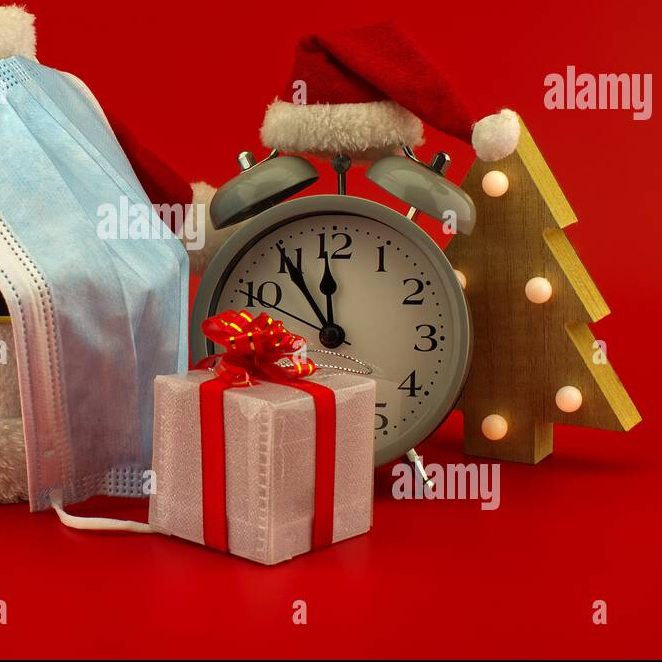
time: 11:54
